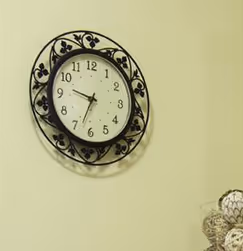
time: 9:33
